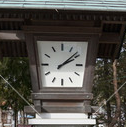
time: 2:08
